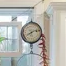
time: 8:12
